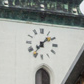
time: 1:36
